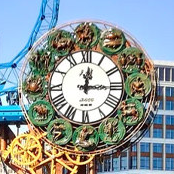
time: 12:14
